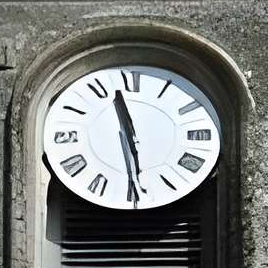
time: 11:28
